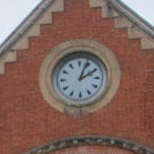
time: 2:03
